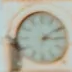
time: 3:09
